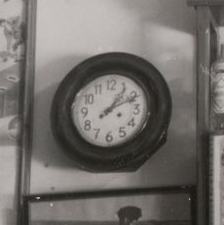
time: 1:10
